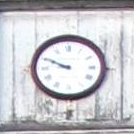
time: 9:49
